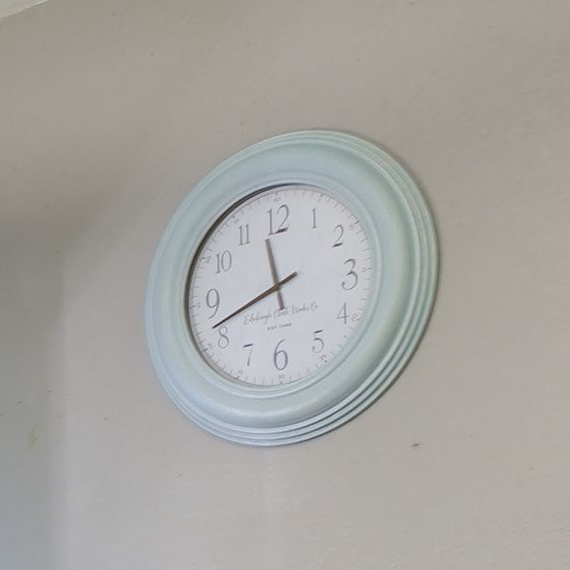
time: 11:41
